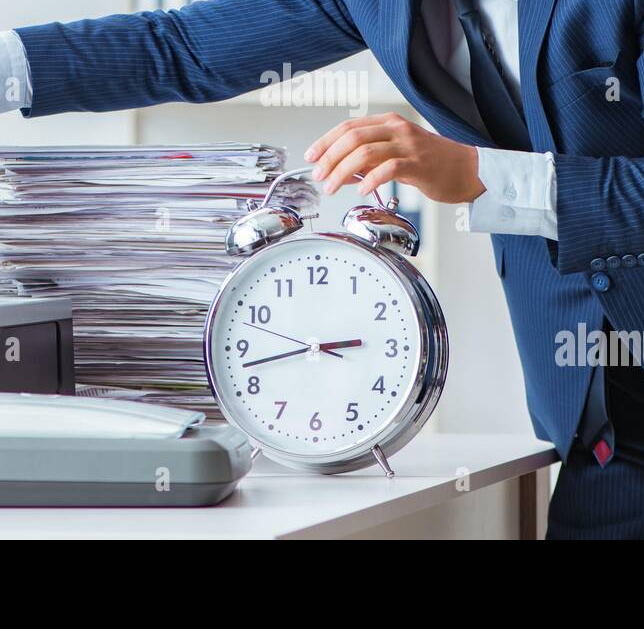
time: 2:42
